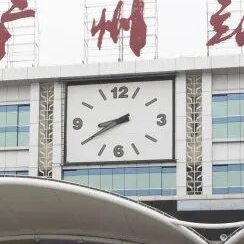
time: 8:40
